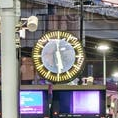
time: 5:29
